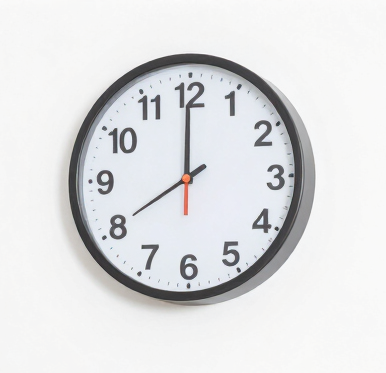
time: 7:59
